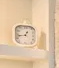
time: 12:42
